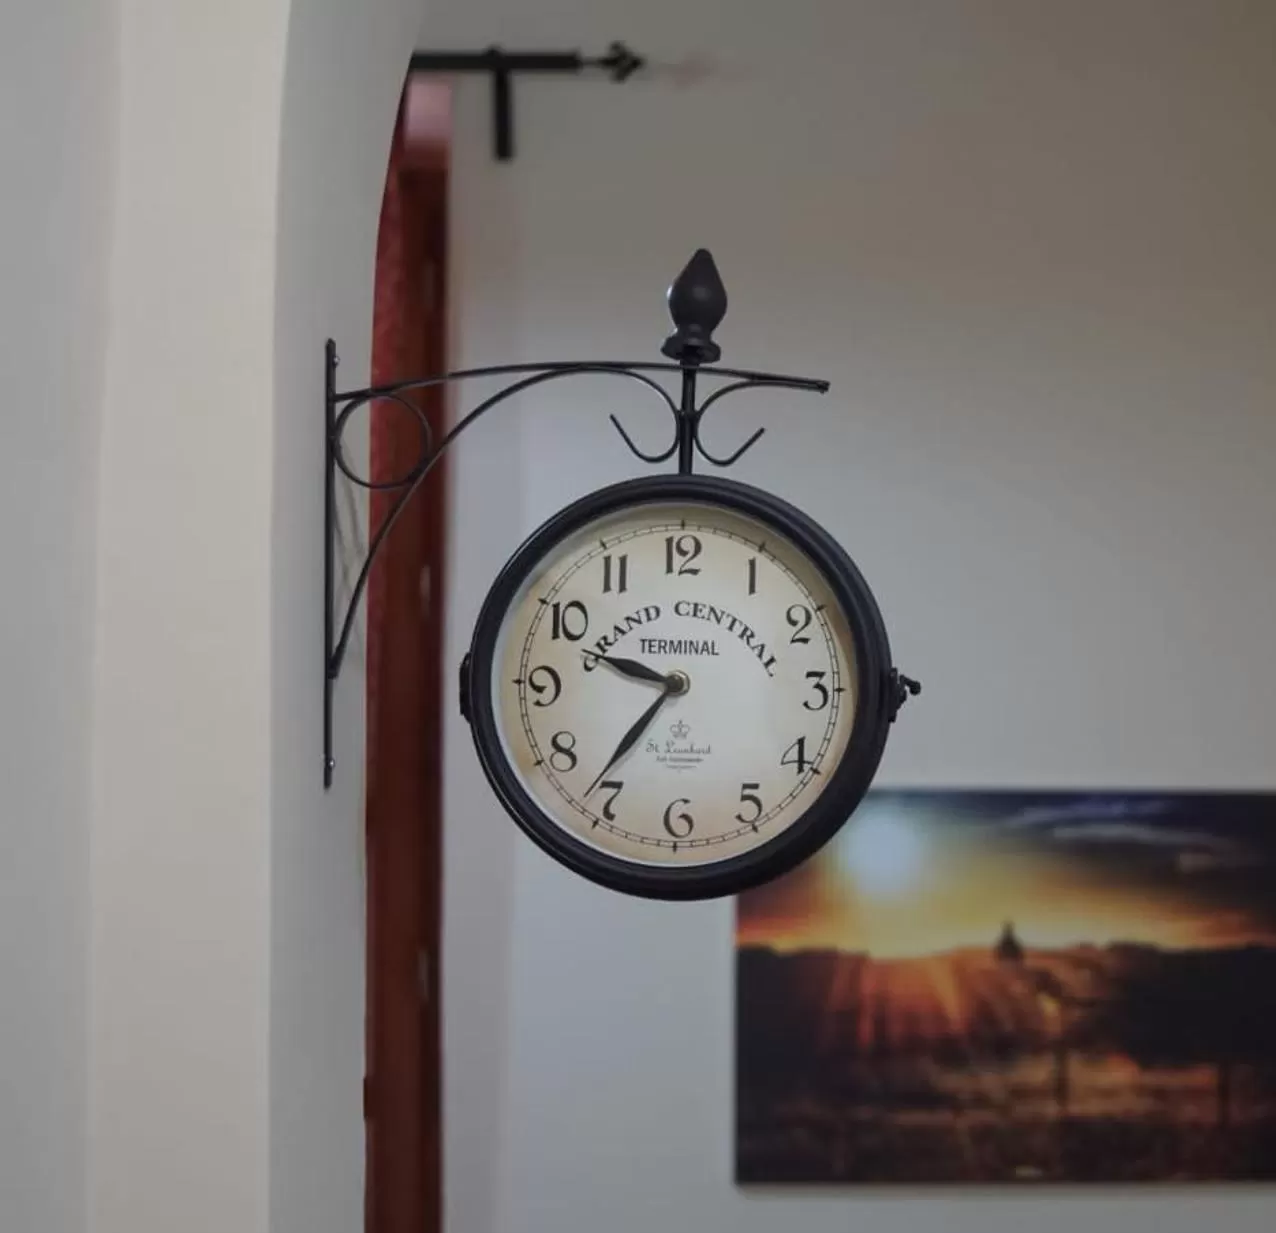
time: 9:36
